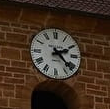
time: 2:22
